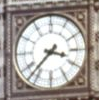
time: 3:37
